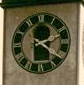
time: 2:21
